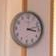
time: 3:12
